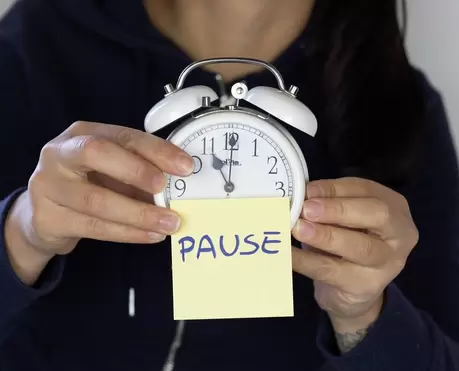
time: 11:00
